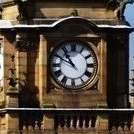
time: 10:49
